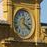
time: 12:20
